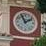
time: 1:56
